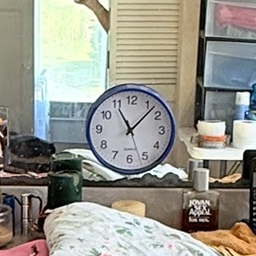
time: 11:07
